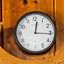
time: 12:15
